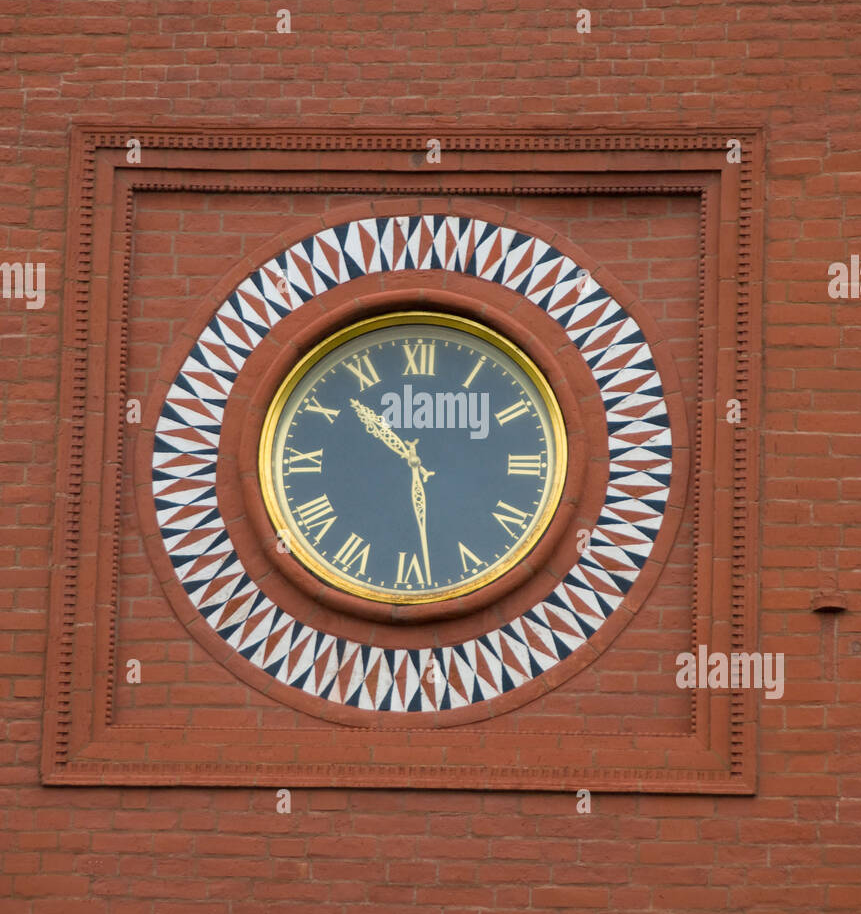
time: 10:28
